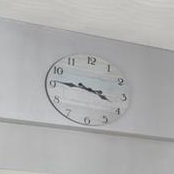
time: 3:46
